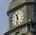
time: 11:32
